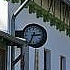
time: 2:34
